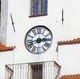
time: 2:42
